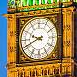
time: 9:41
